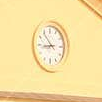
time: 8:53
